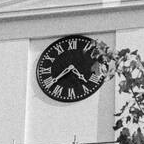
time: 4:38
